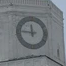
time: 11:46
